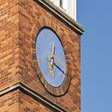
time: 12:19
